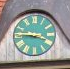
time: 3:45
